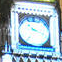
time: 3:18
